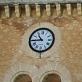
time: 10:44
